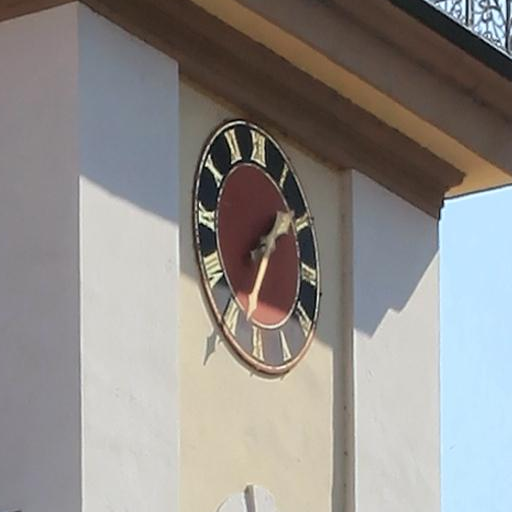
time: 1:33
